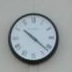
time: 10:21
